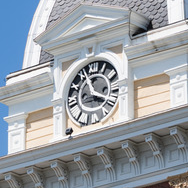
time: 11:19
